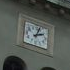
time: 2:02
